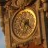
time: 6:21
